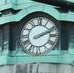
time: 2:11
